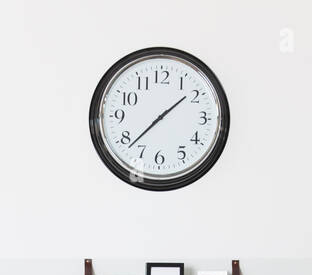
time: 1:37
